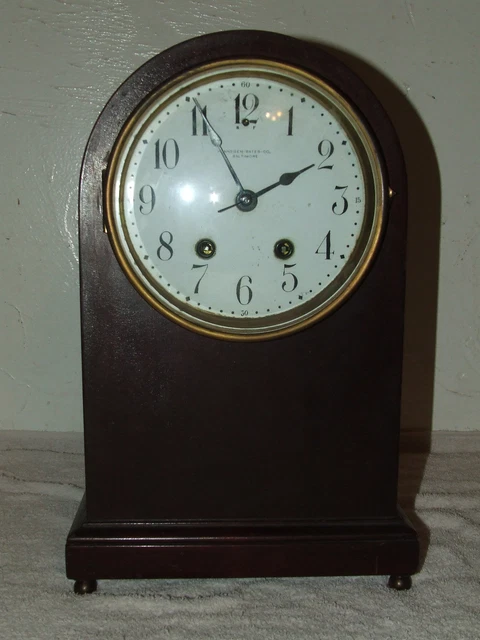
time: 1:55
